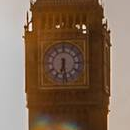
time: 6:28
